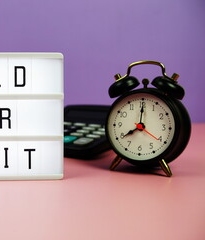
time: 8:00
